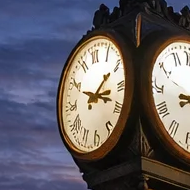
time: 2:18
